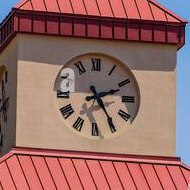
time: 2:24
